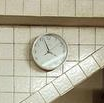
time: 3:57
